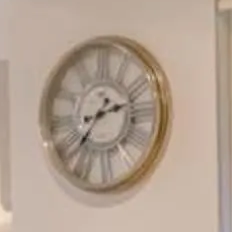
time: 2:36
